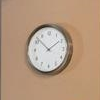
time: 1:52
